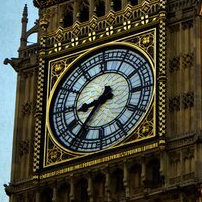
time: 8:36
